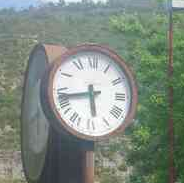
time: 5:43
